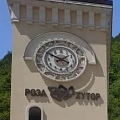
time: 1:49
